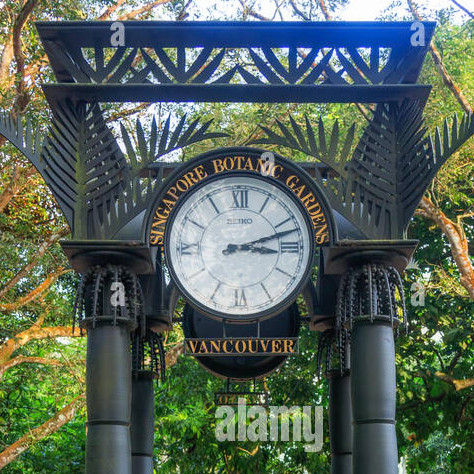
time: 3:11
